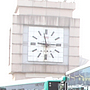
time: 9:14
